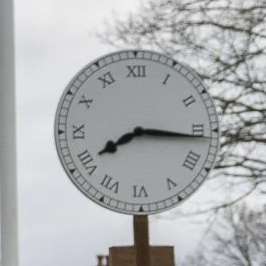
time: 8:16
